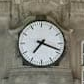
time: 7:18
